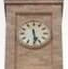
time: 5:29
